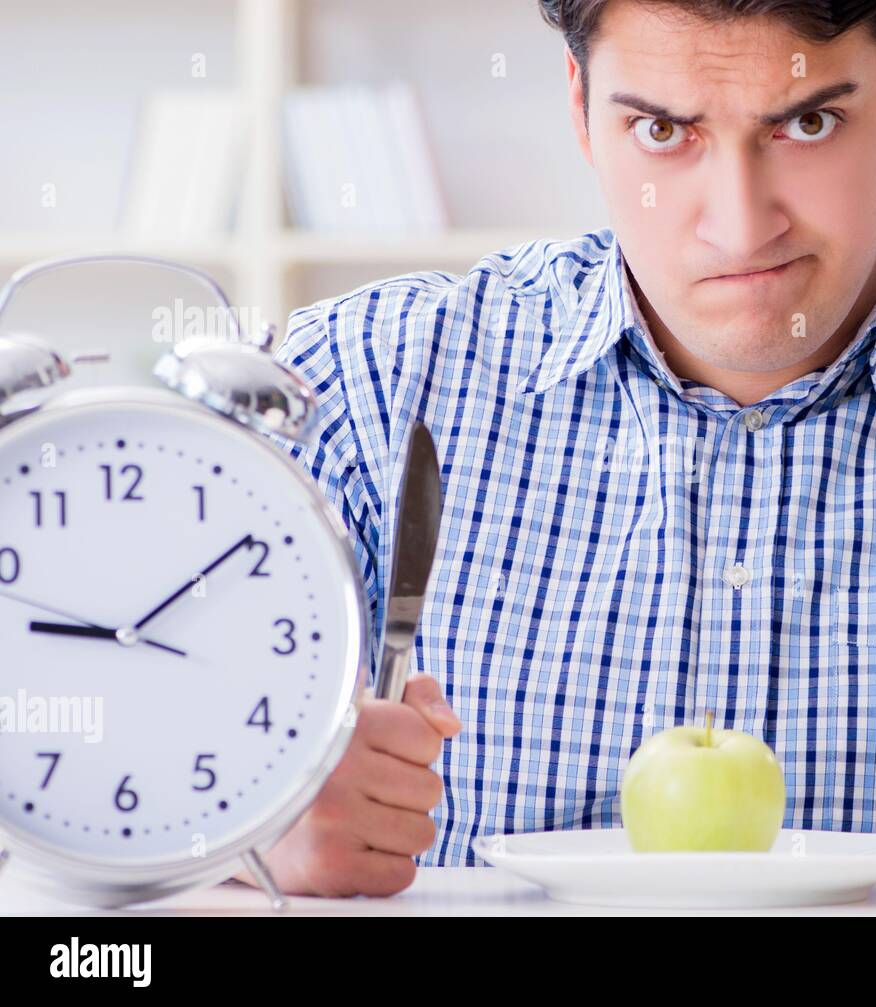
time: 9:09
